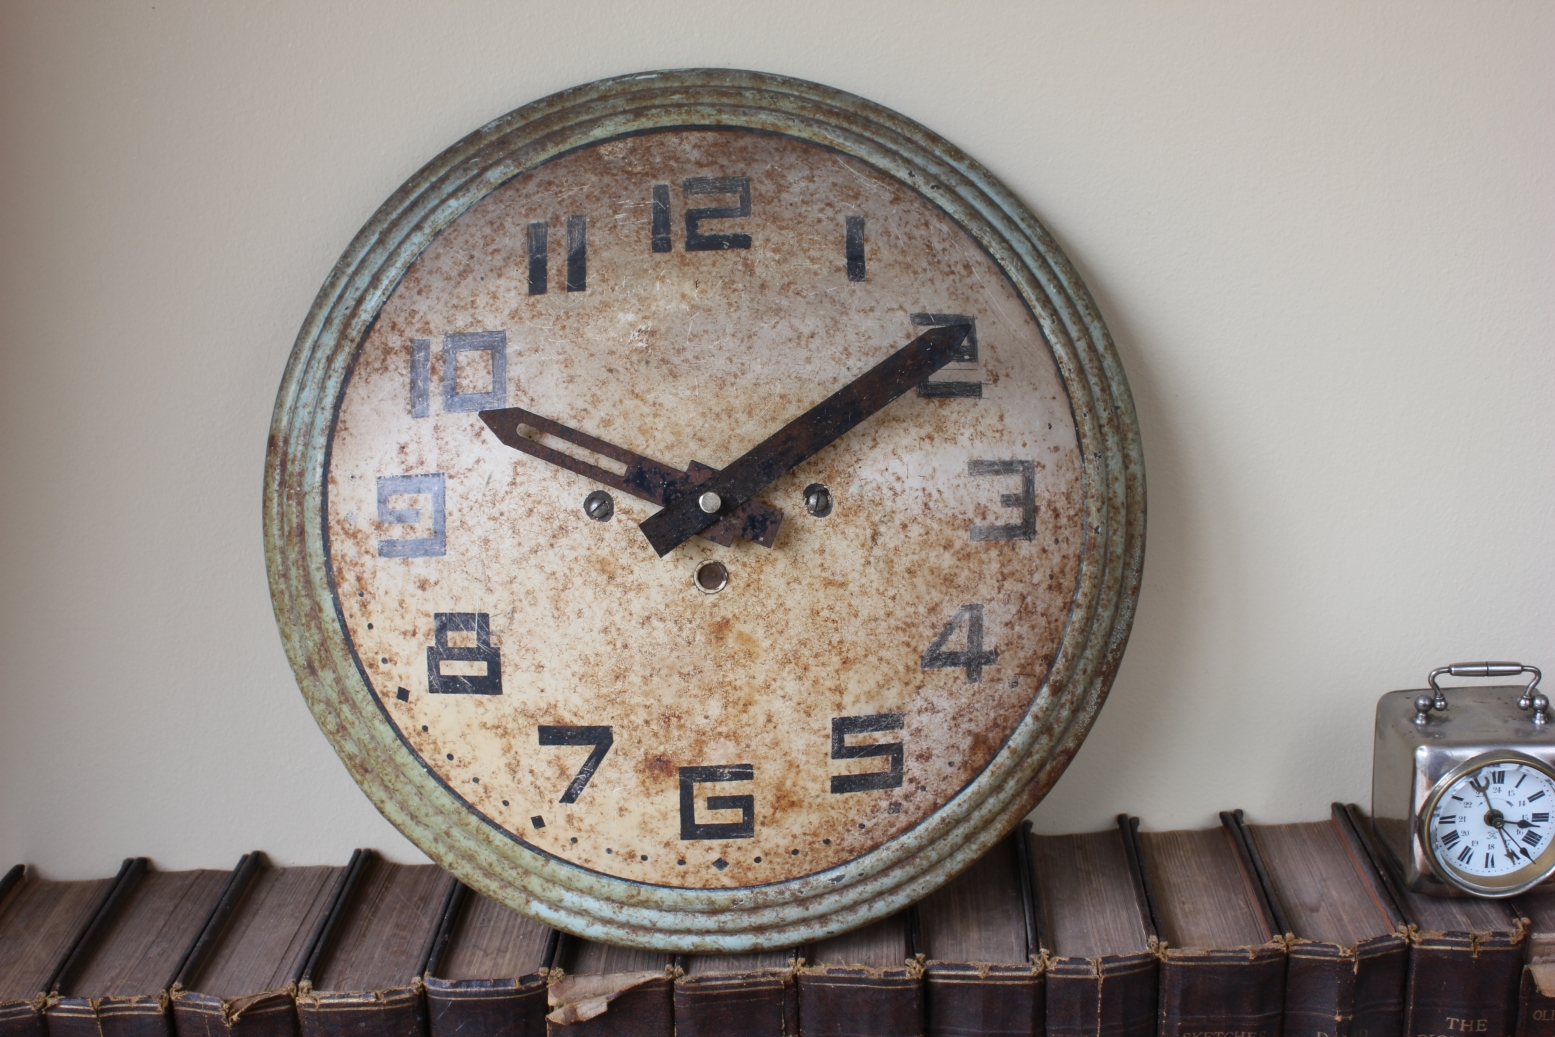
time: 1:49
